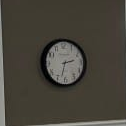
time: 2:32
